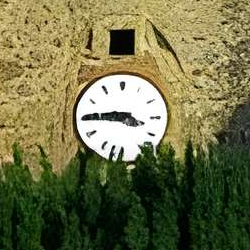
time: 3:45
